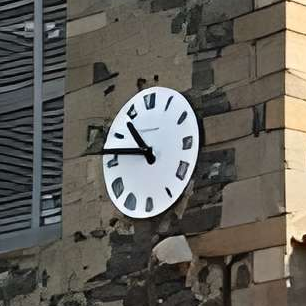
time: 10:46
